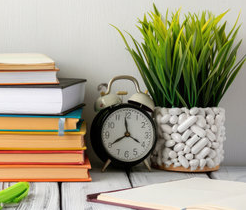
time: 11:40
